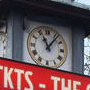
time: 11:06
